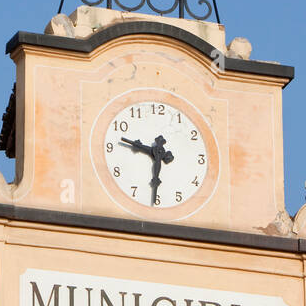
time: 9:30
